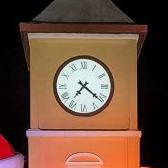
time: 7:21
